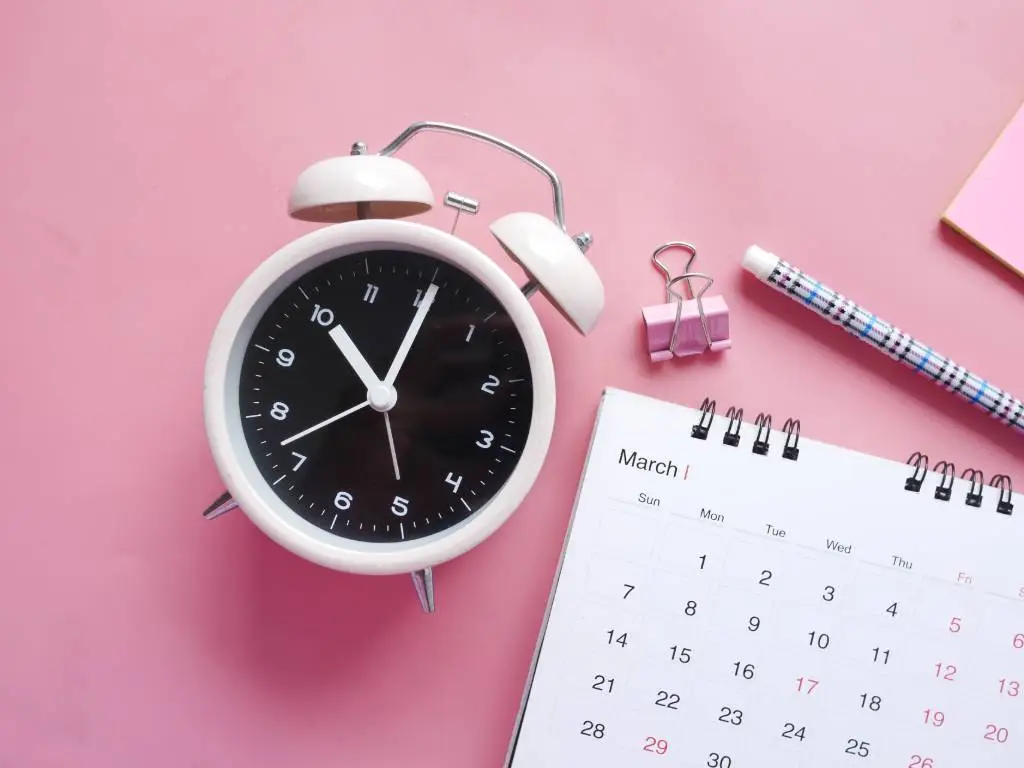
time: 11:05
